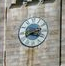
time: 3:40
